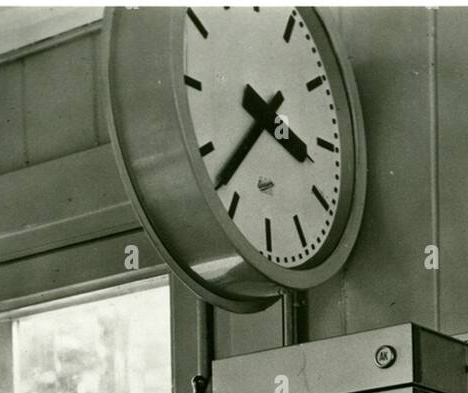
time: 3:37
